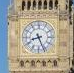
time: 8:26
